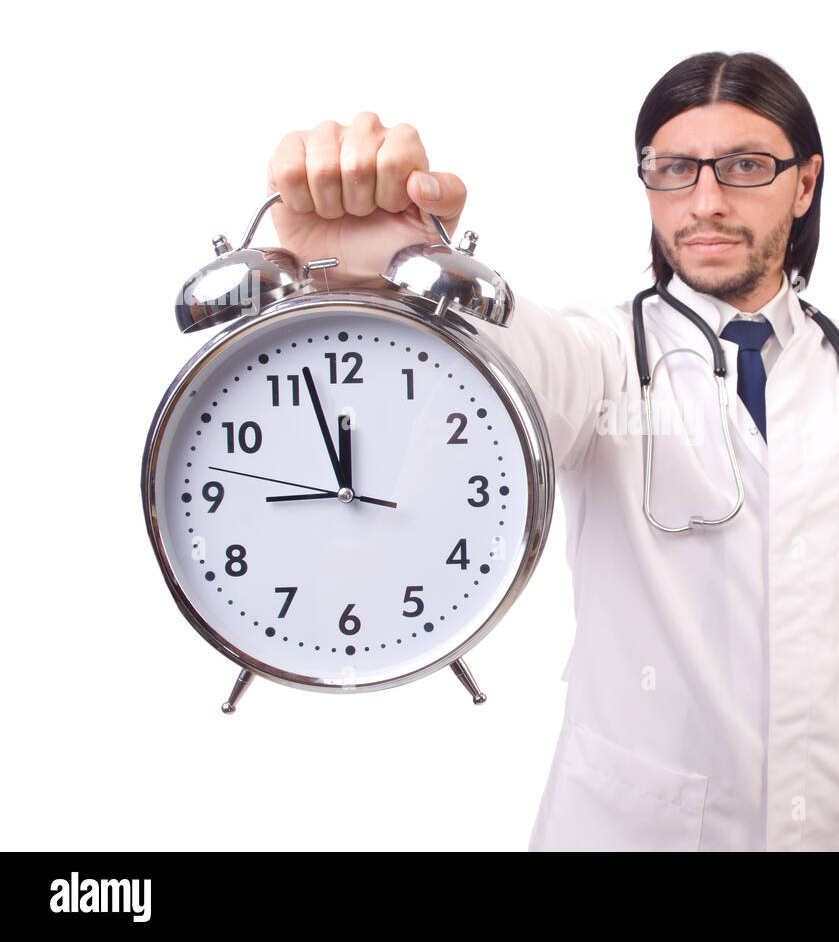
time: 11:57
